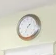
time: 1:34
